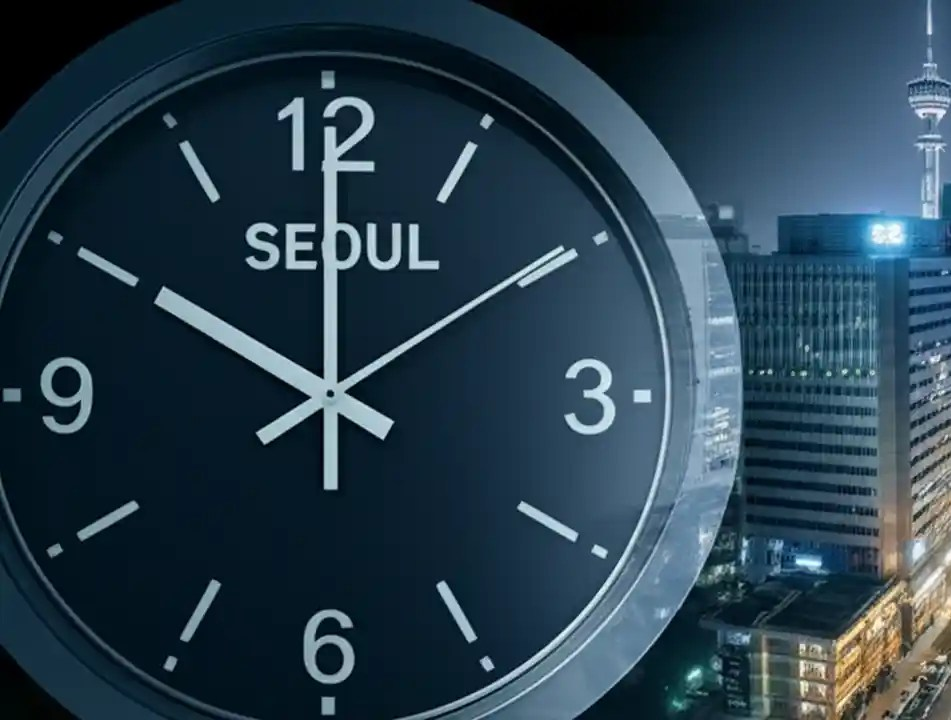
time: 10:00
